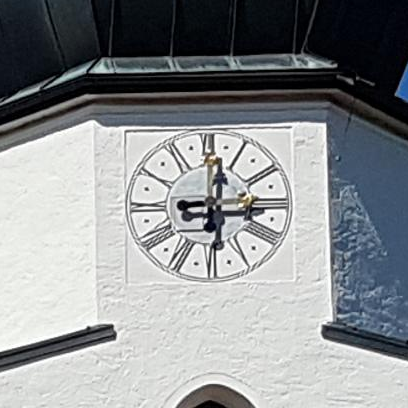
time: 12:14
